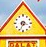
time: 3:34
